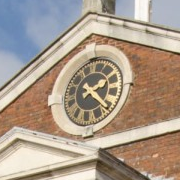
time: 2:21
